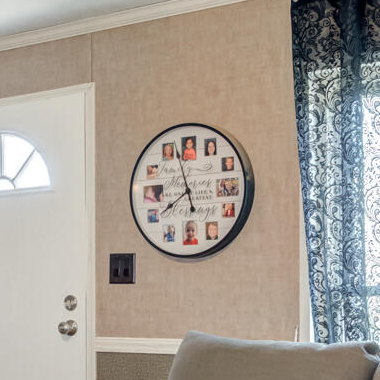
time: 7:57
